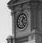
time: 1:24
